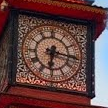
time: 6:16
